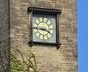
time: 3:44
